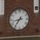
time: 8:36
